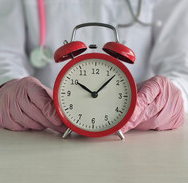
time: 10:07
